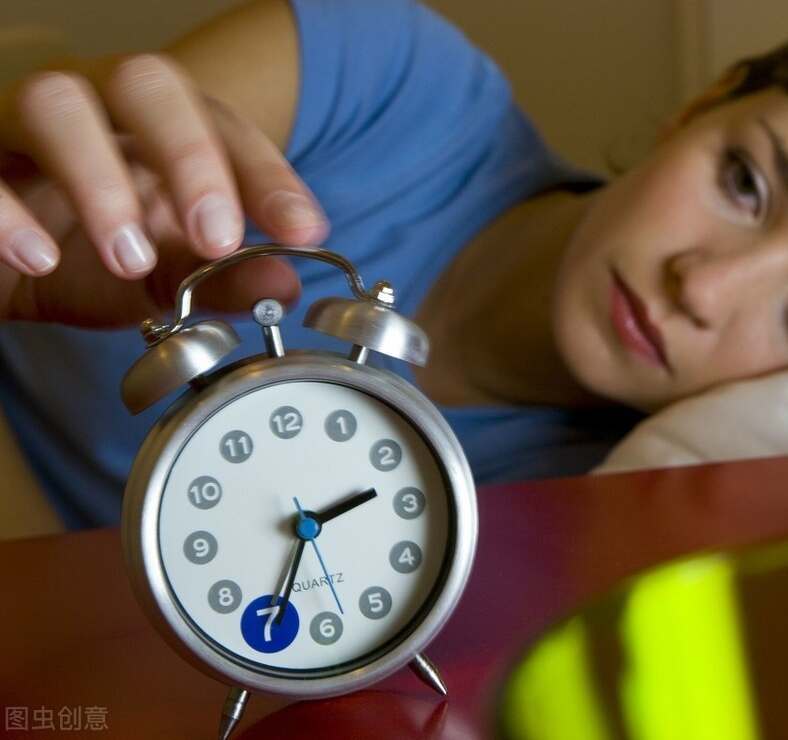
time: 2:34
